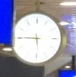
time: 5:45
